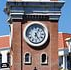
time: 5:05
